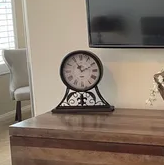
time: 11:10
